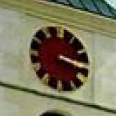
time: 3:16
